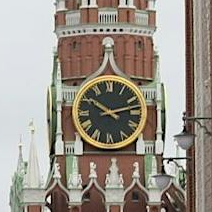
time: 10:12
